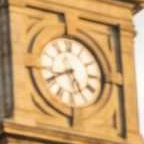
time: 5:40
